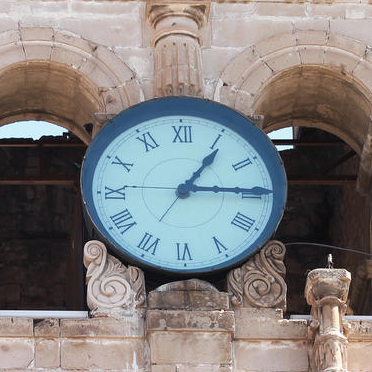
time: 1:14
